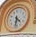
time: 4:31
